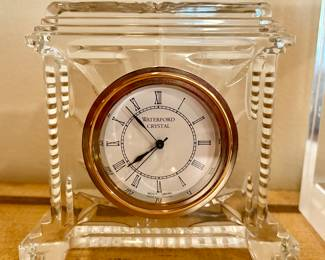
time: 7:53
